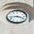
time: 3:43
